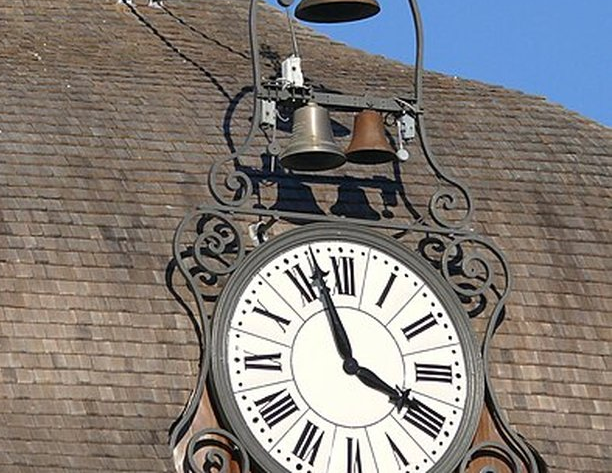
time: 3:57
